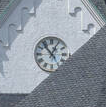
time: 12:53
